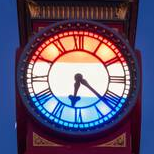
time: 6:22
